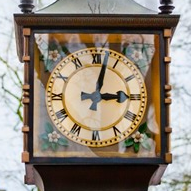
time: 3:02
